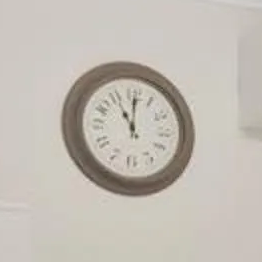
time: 11:00
